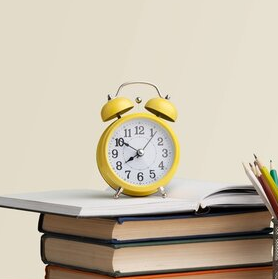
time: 7:50
